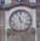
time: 11:21
